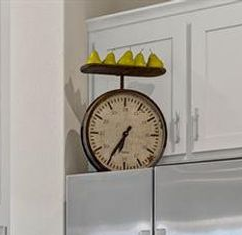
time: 6:35
